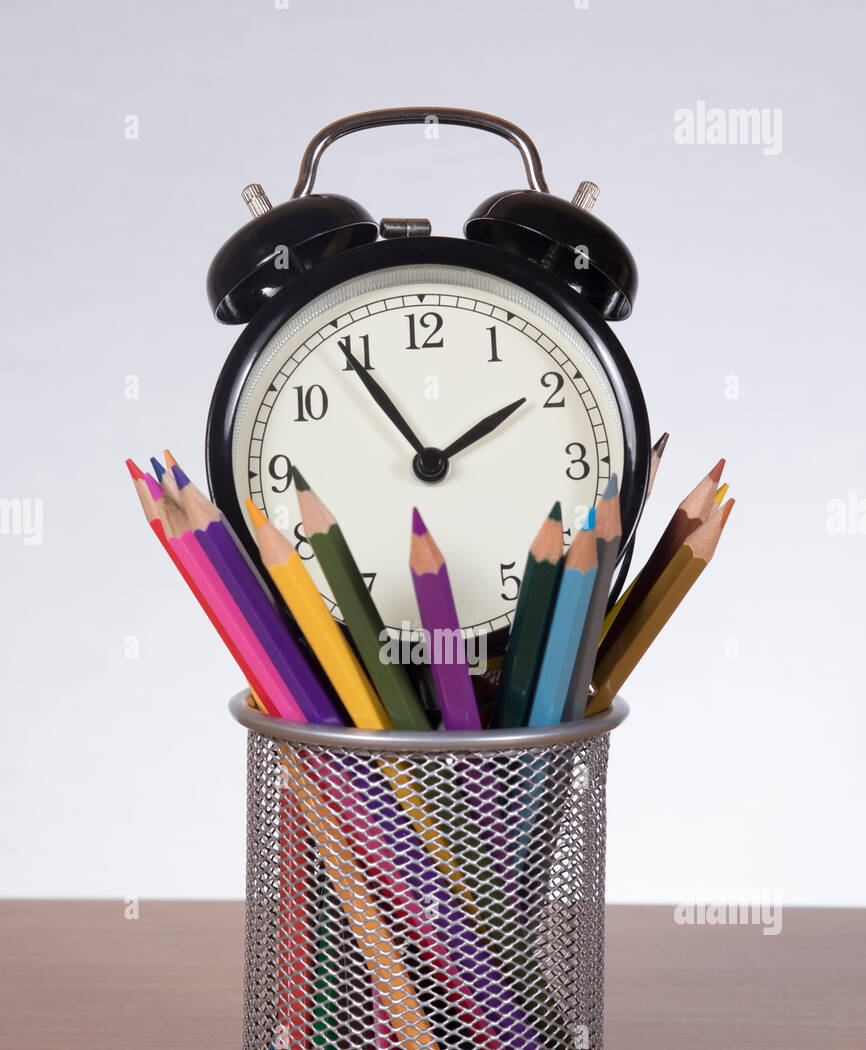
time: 1:54
